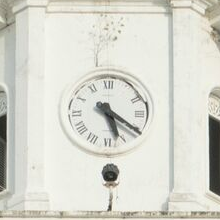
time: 5:20
